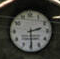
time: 2:29
